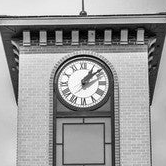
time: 1:08
